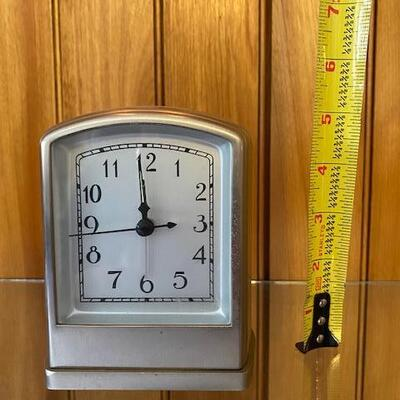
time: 2:59
